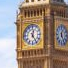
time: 12:24
